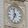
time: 6:58
